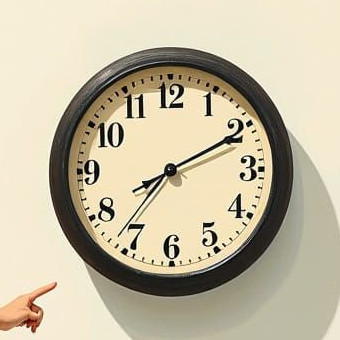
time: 7:10
